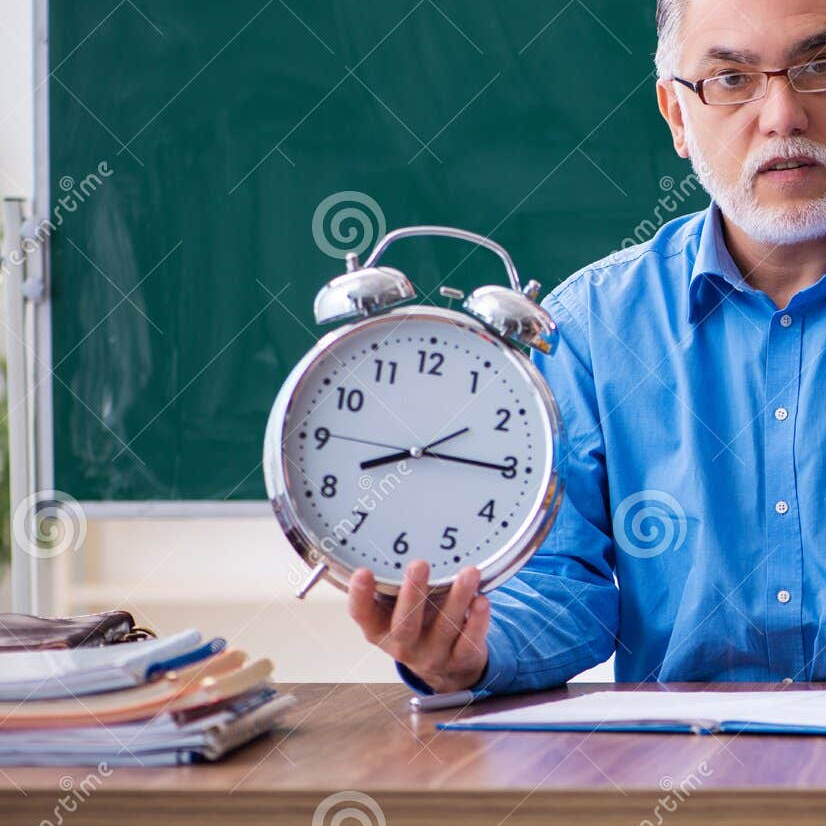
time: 8:15
